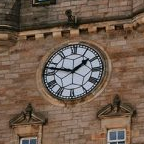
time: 1:47
